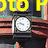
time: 9:47
